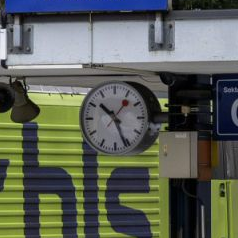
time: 10:26
